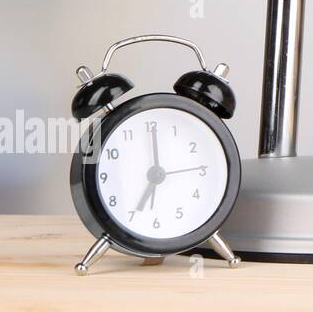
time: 7:00
